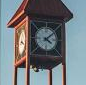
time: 4:07
